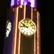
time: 9:45
